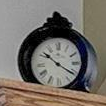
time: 10:20
